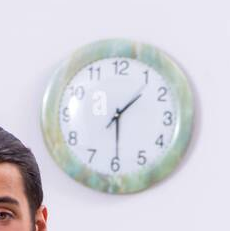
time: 1:29
